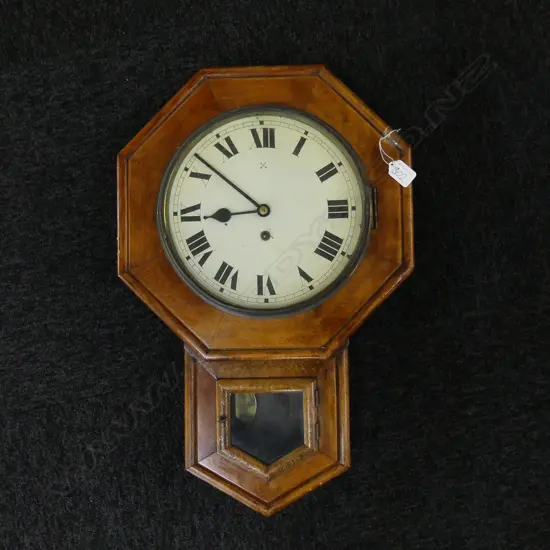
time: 8:51
